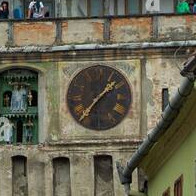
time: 1:36
